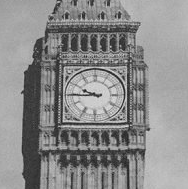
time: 9:44
